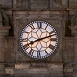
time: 8:11
